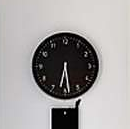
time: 6:28
